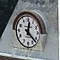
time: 12:21
